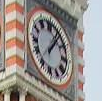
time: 1:06
